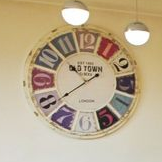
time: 10:39
